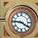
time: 3:45
